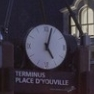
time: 5:03
